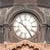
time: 10:24
